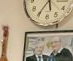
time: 5:35
